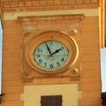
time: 1:56
